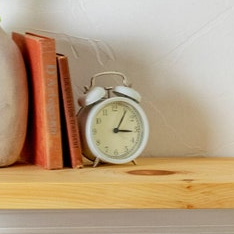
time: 3:05
